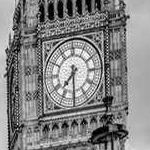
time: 7:30
